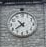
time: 10:39
